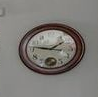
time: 1:46
